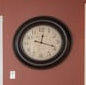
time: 12:18
